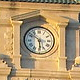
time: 5:51
